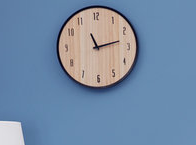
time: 11:12
